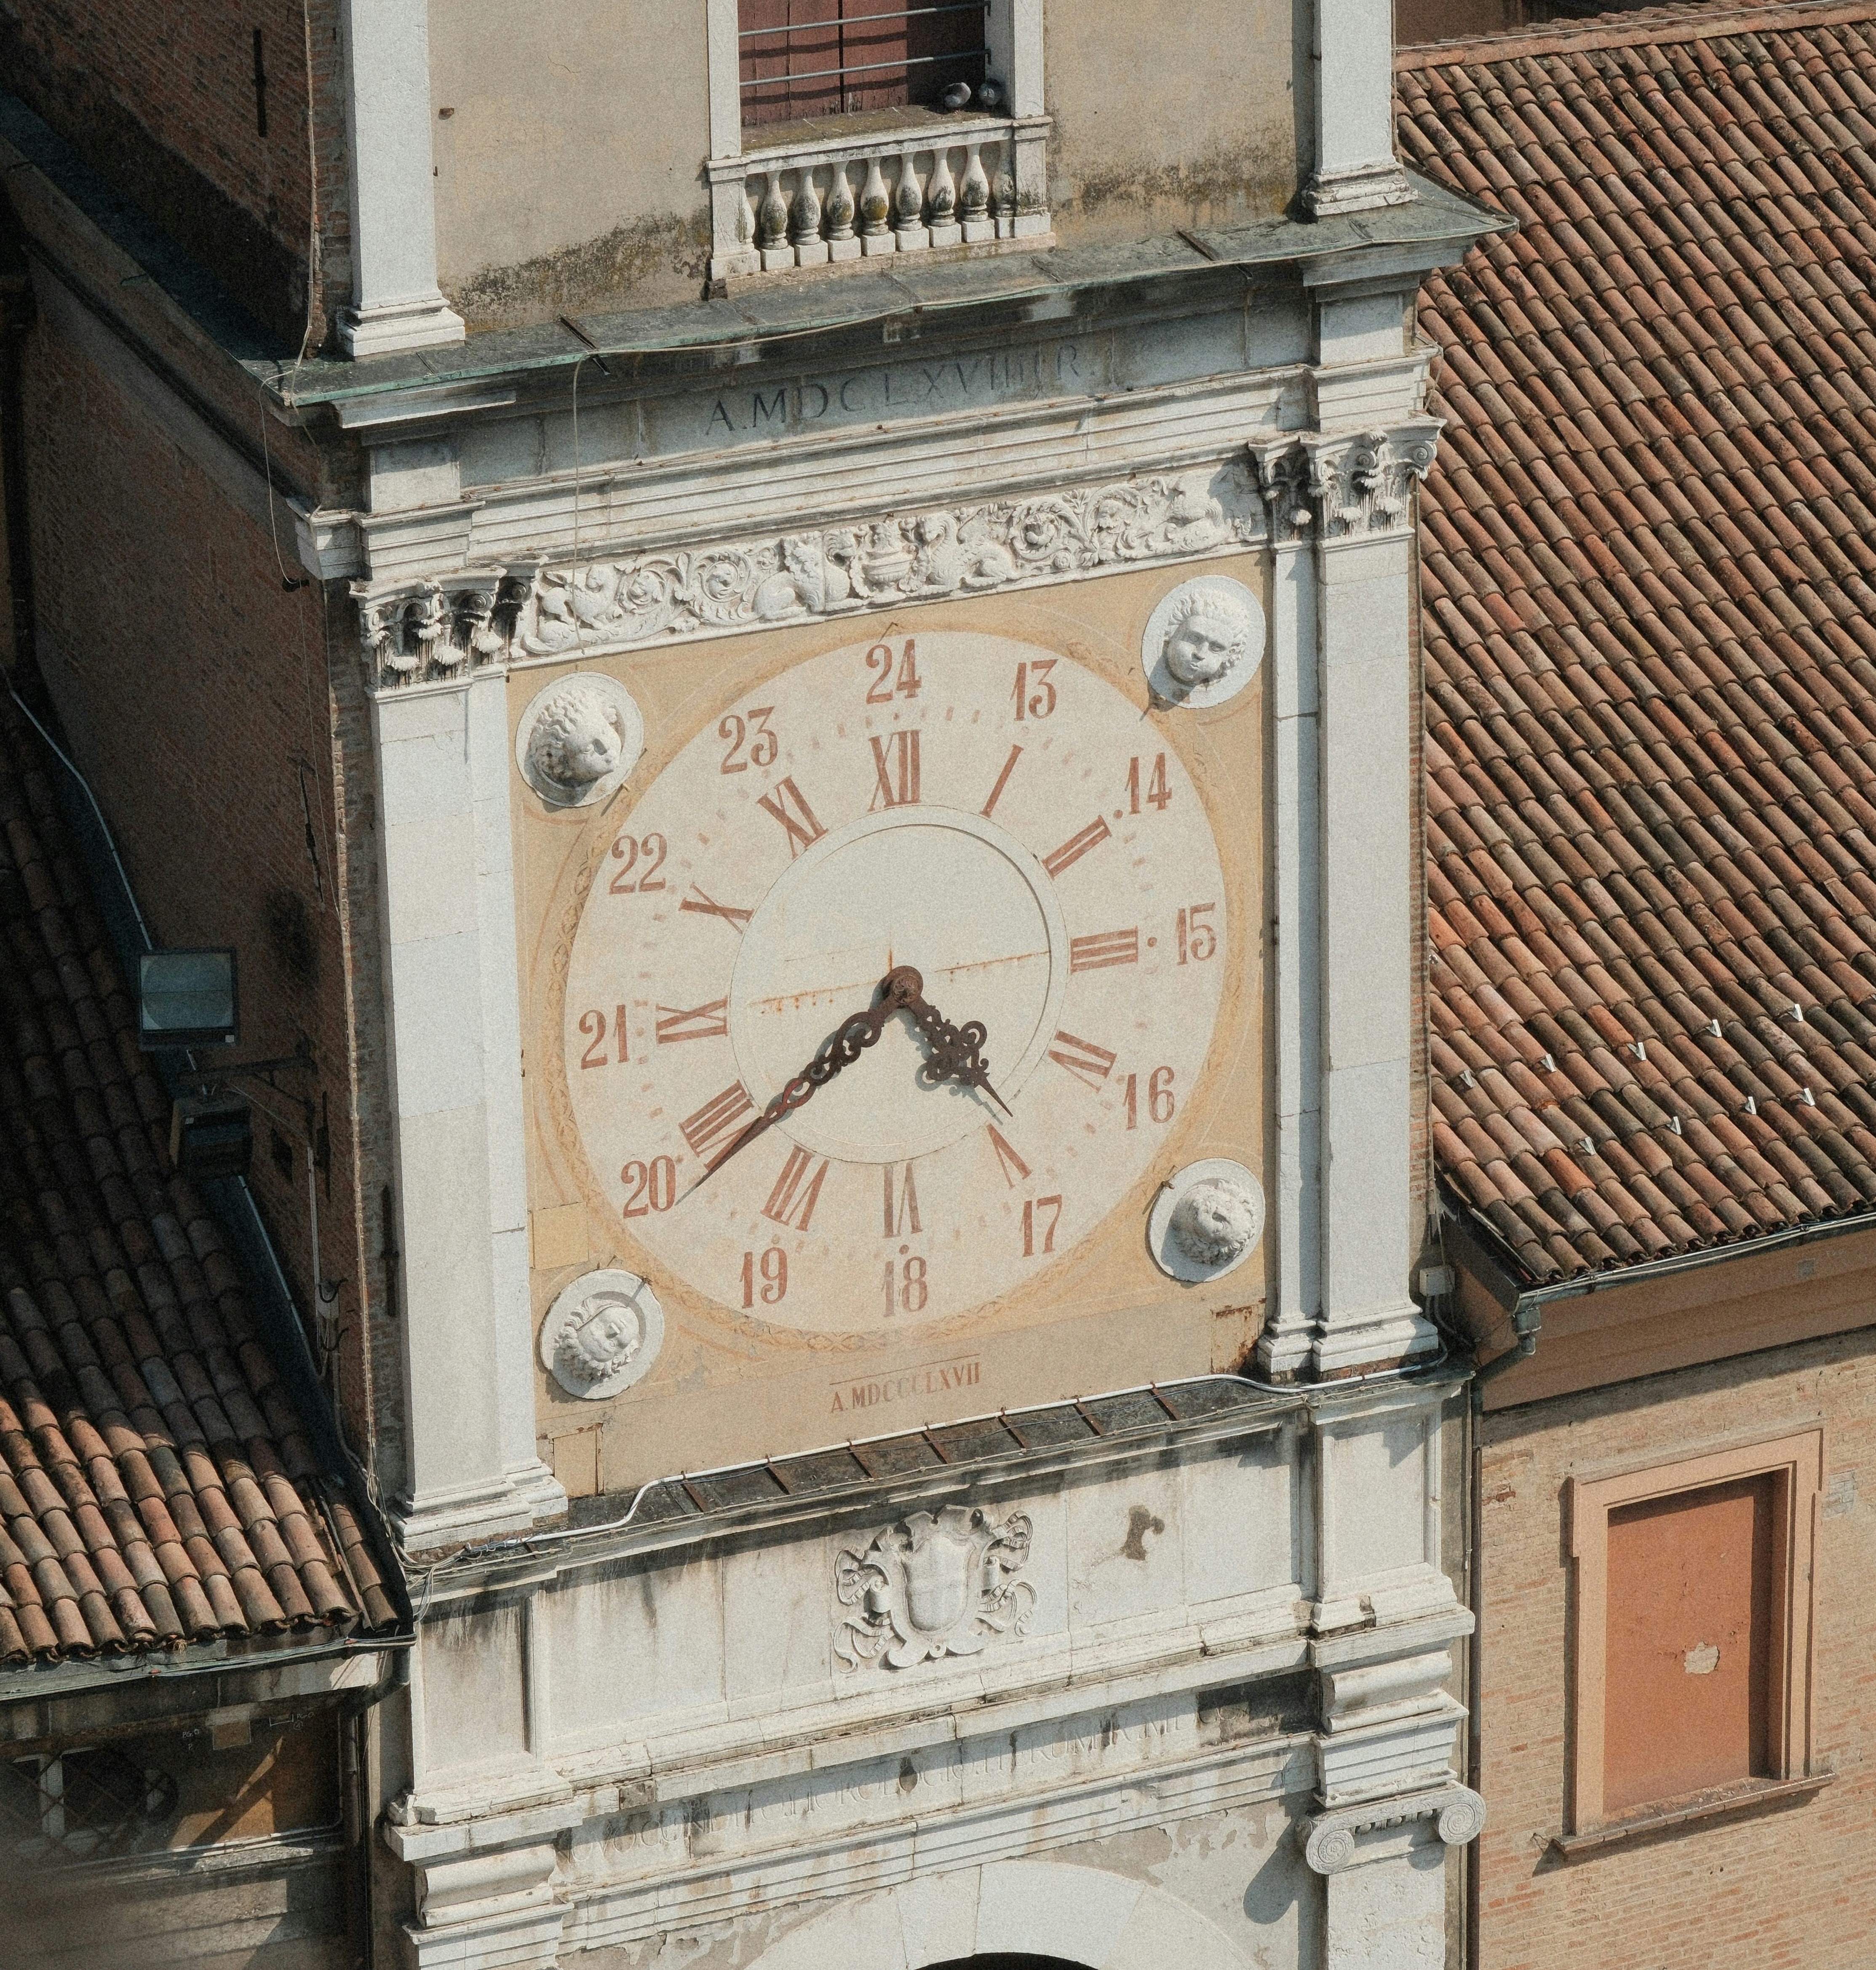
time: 4:39
